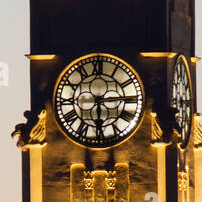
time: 6:14
